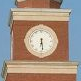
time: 6:28
